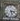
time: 3:27
